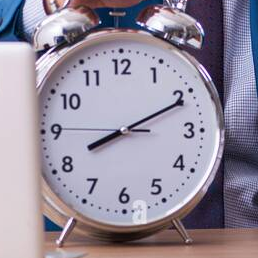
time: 8:10
